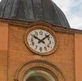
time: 10:07
